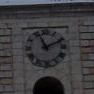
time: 11:11
